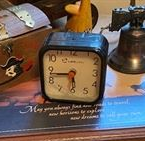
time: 5:43
